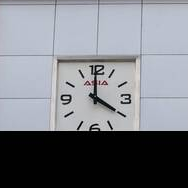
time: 3:59
